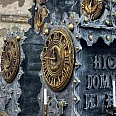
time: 11:46
